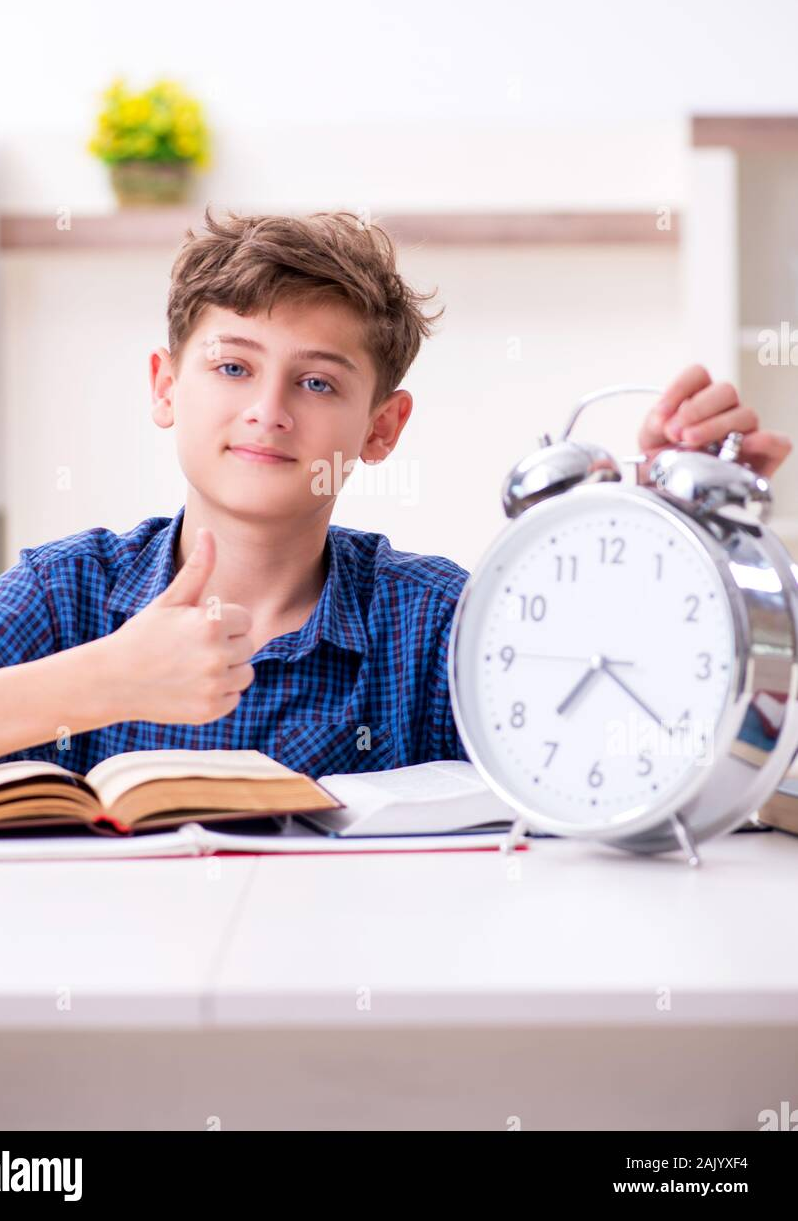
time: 7:21
